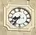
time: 8:36
